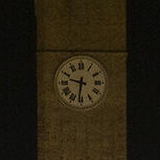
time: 9:31
